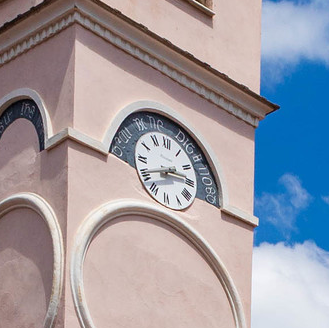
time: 2:40
